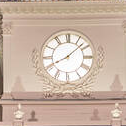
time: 8:08
